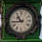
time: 10:43
